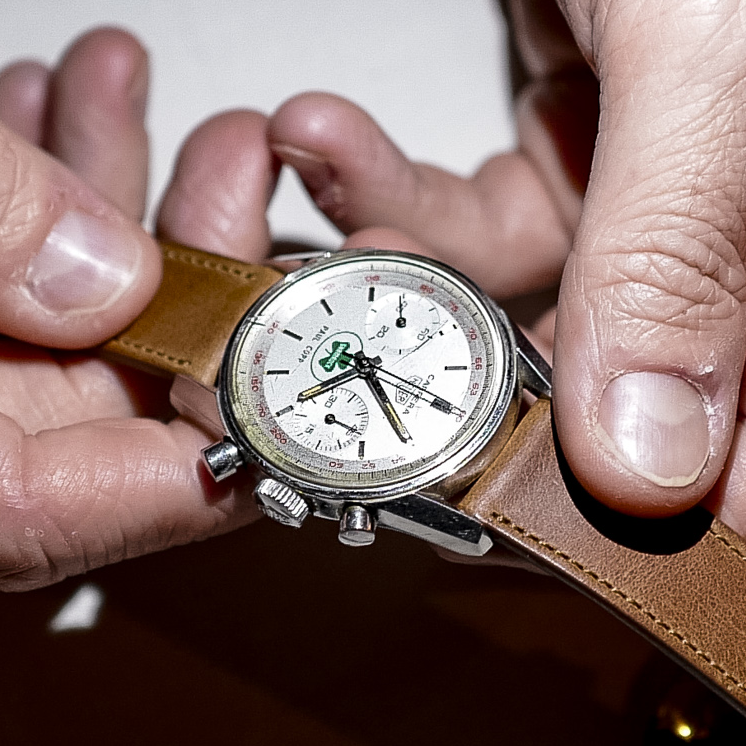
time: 8:19
